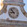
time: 8:53
